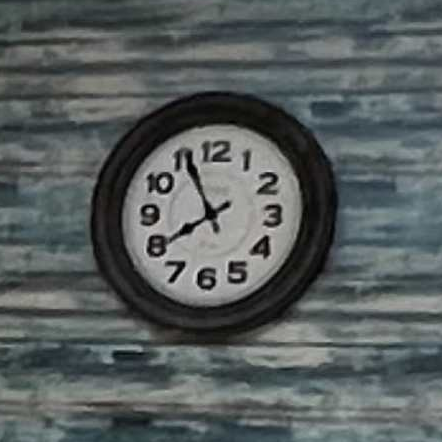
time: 7:55
